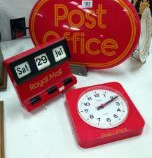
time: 2:11
